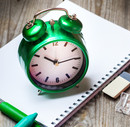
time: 10:14
